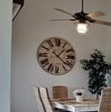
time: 1:21
